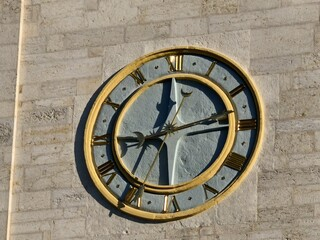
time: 12:12
